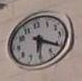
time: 6:20
